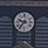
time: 9:36
